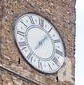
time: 7:06
